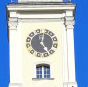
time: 5:00
